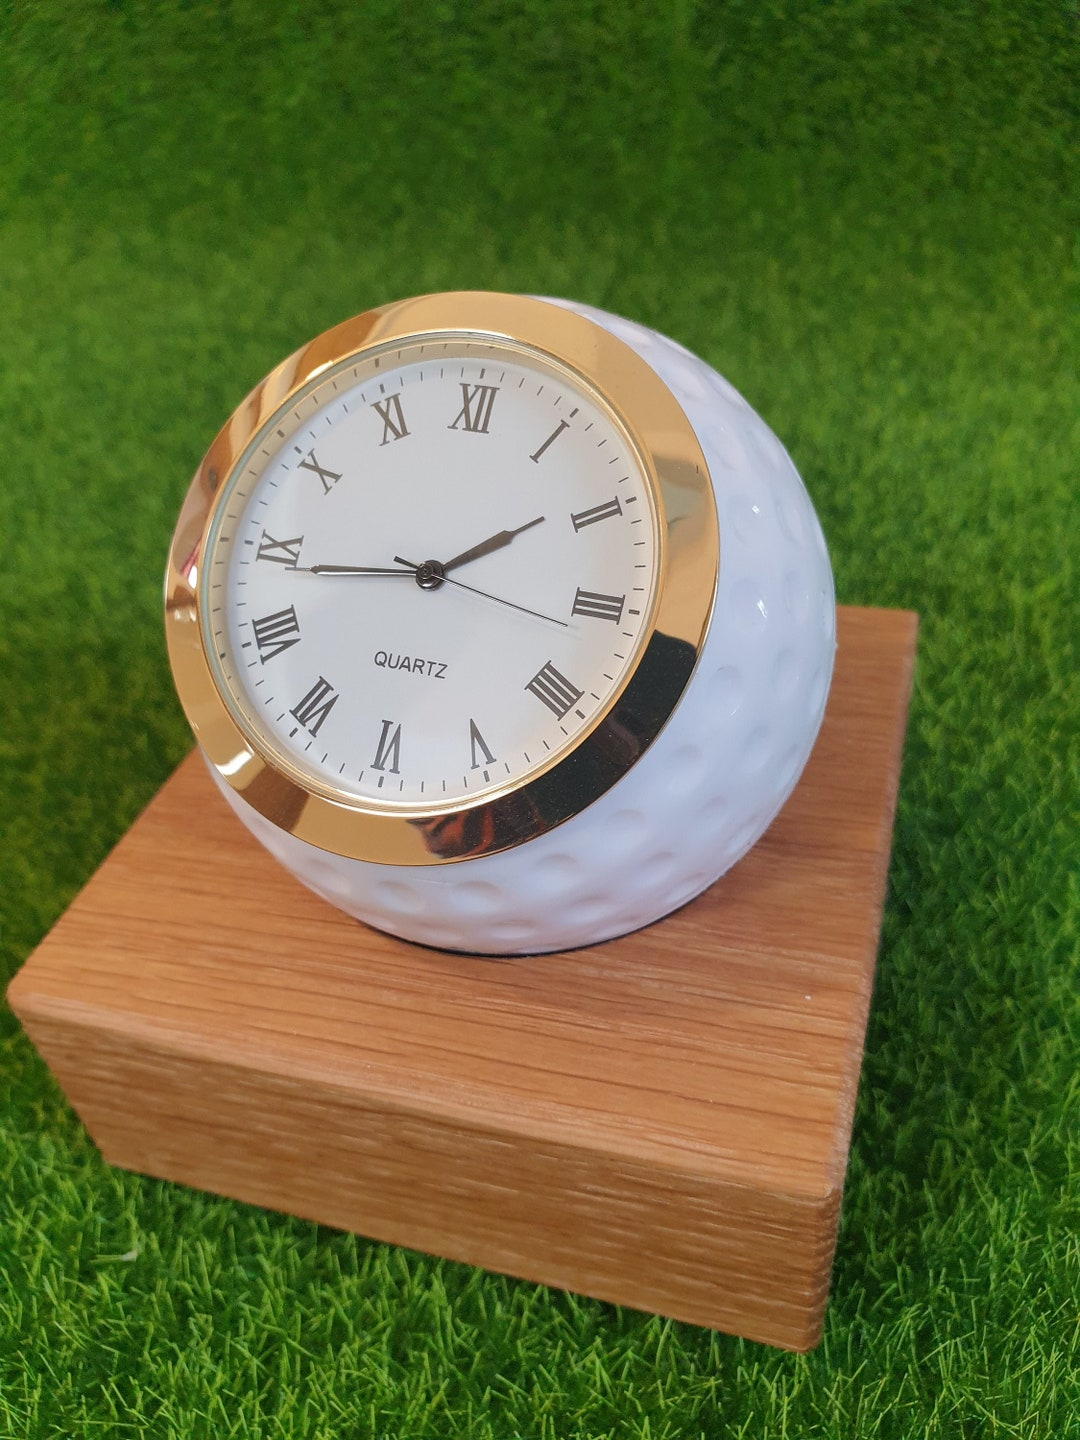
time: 1:43
